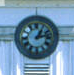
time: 1:12
